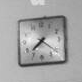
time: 7:21
